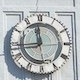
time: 11:43
